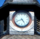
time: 4:41
